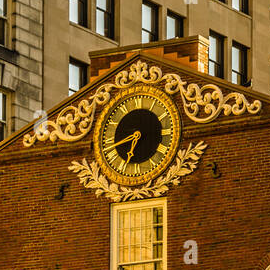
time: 6:42
